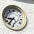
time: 8:36
